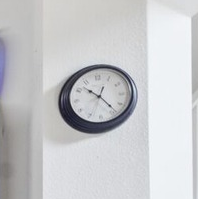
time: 10:23
